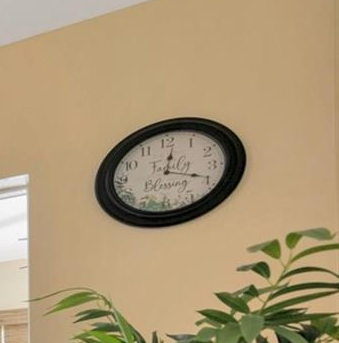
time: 12:18
